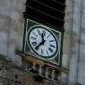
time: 11:36
